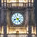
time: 8:23
